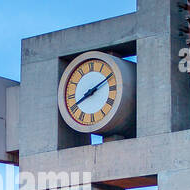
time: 8:10
